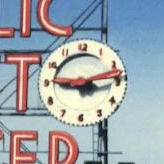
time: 9:13
